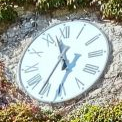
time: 11:35
